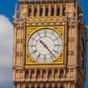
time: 10:22
